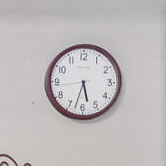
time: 5:32
